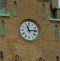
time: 11:13
